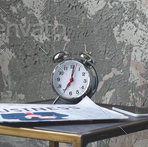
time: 7:01
